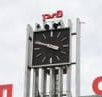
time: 3:48
